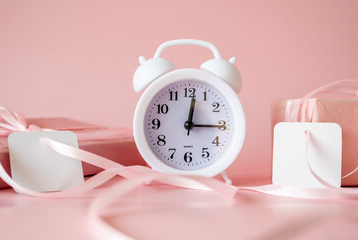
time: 12:15
